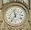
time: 11:35
